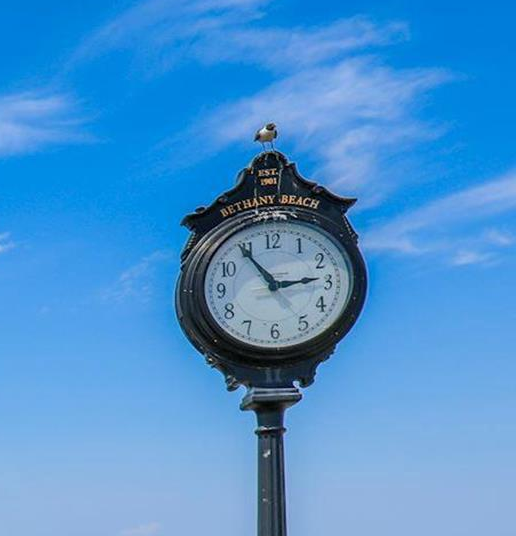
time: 2:54
